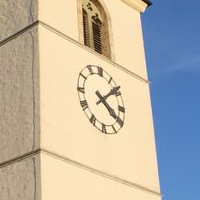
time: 4:08
